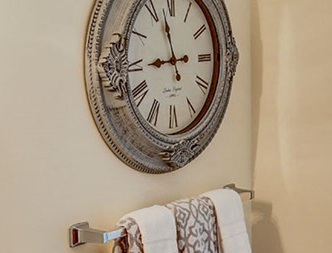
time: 8:57
